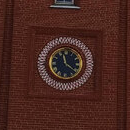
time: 11:21
